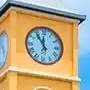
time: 11:54
